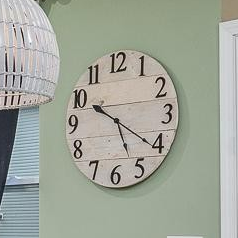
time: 5:20
